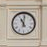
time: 11:01
